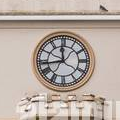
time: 11:43
